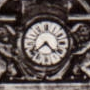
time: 4:38
